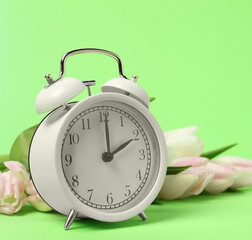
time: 2:00
